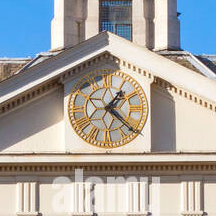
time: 1:21
